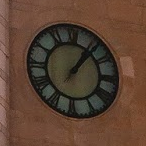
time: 1:06
